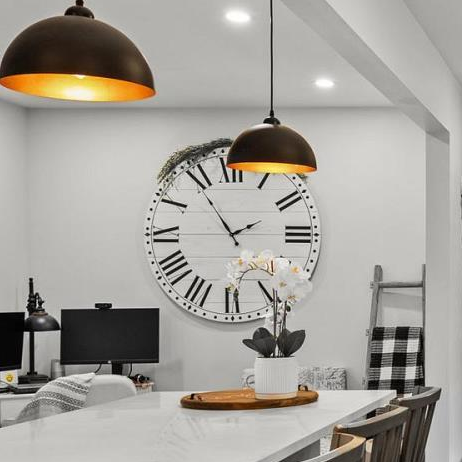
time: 1:54
